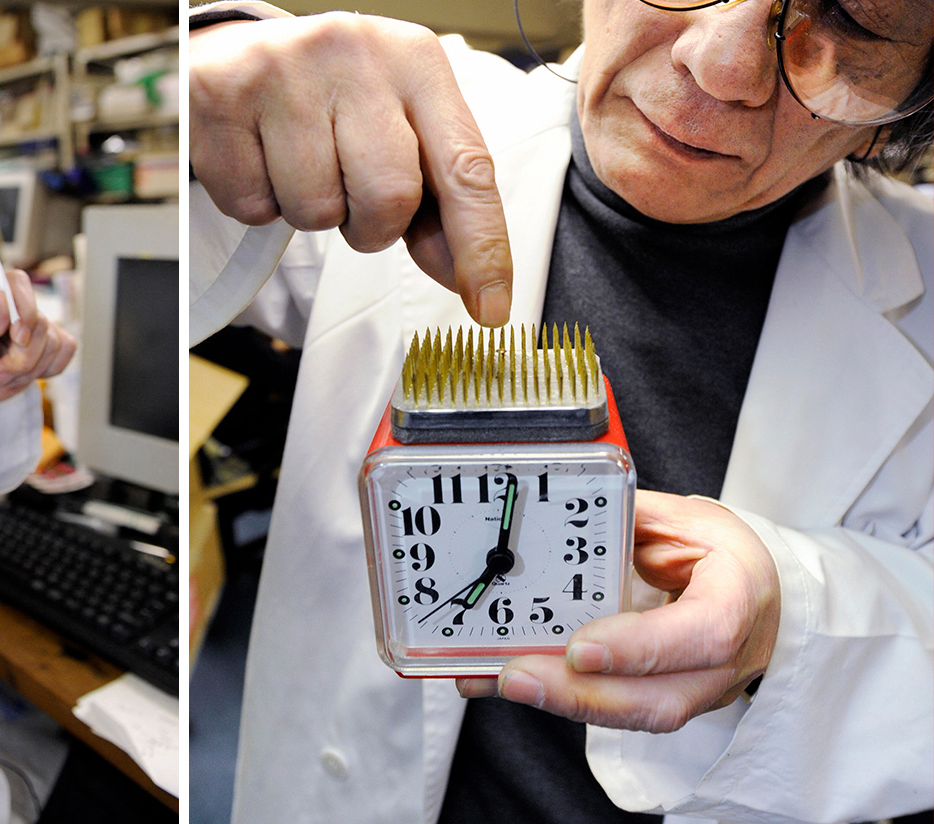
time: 7:01
